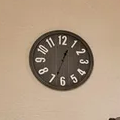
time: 12:33
